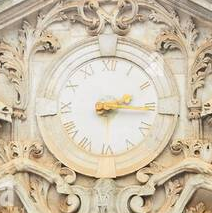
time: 2:15
